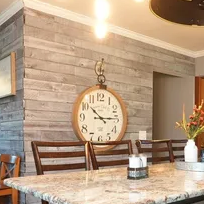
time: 10:14
